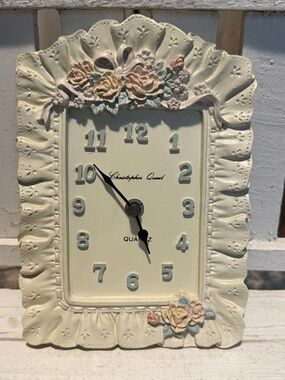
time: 4:52
